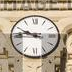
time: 9:45
